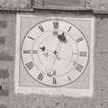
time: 12:32
